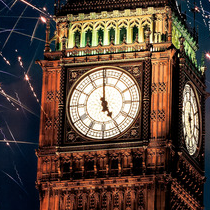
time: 4:59
